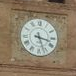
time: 3:26
